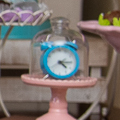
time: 4:14
